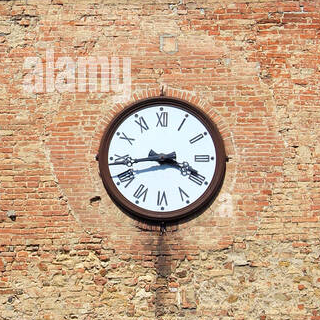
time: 3:43
